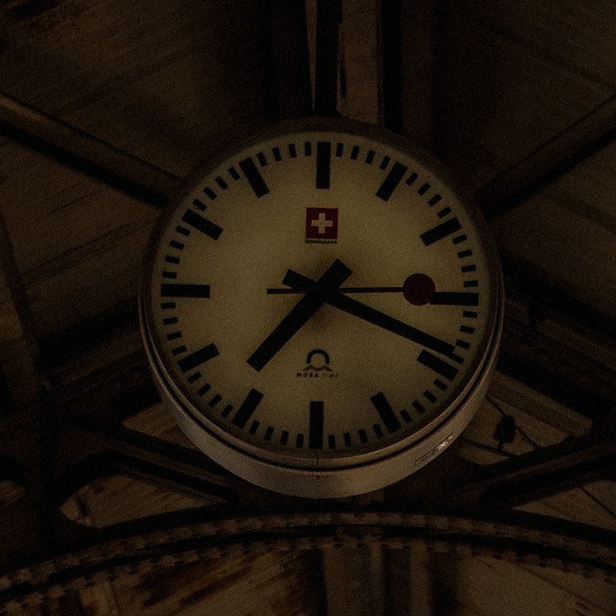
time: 7:18
